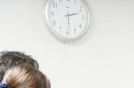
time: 2:29
